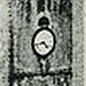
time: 4:42
